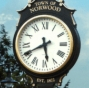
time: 5:40
